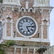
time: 5:13
